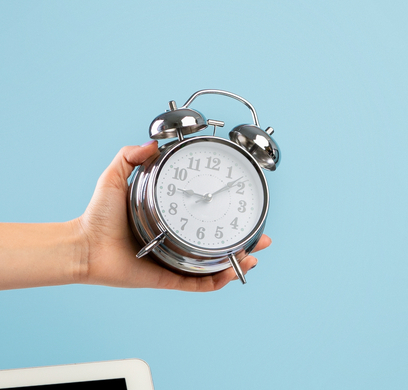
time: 9:08
